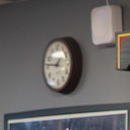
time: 12:46
